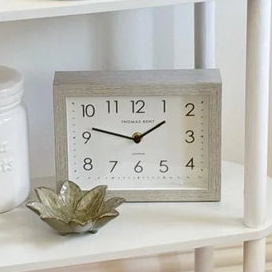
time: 1:47
